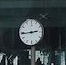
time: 2:44
